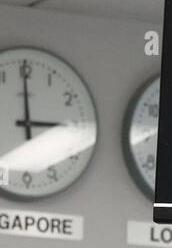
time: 2:59
